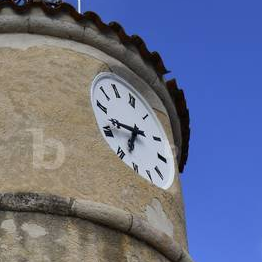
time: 6:42
